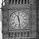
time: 11:28
